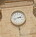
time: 2:42
